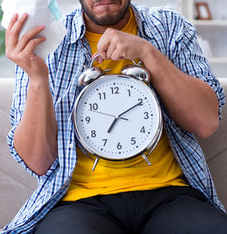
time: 7:10
